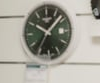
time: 10:07
